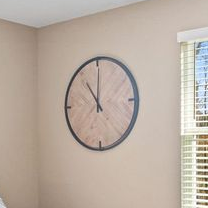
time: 11:00
